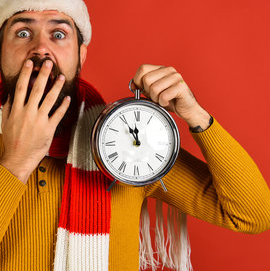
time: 11:55
